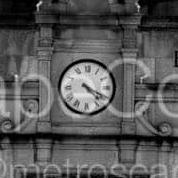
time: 4:19
